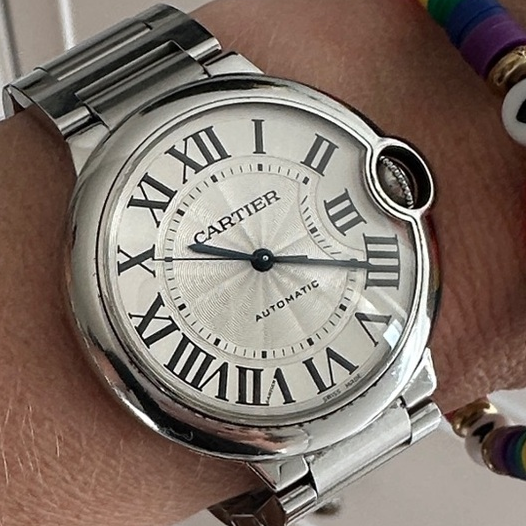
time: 9:15
